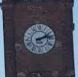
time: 2:12
